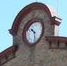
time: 10:28
